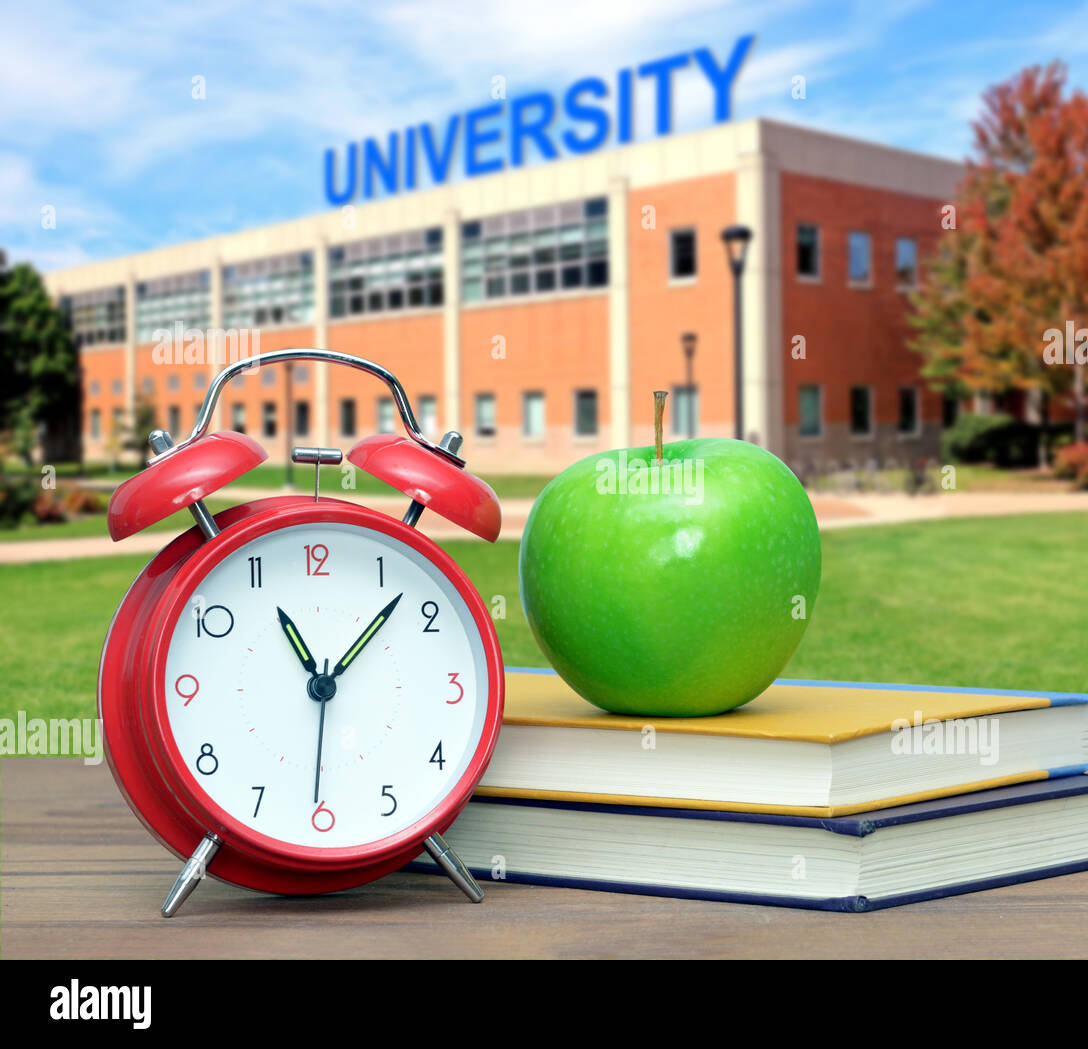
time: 11:07
